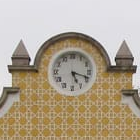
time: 5:18
